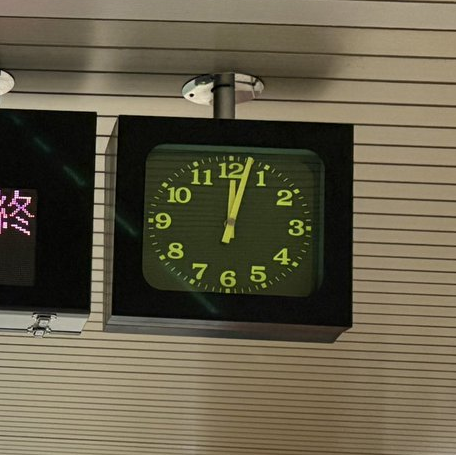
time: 12:02
